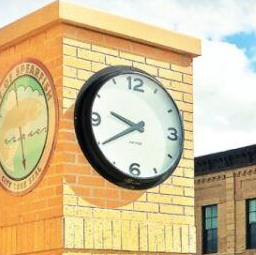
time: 9:40
